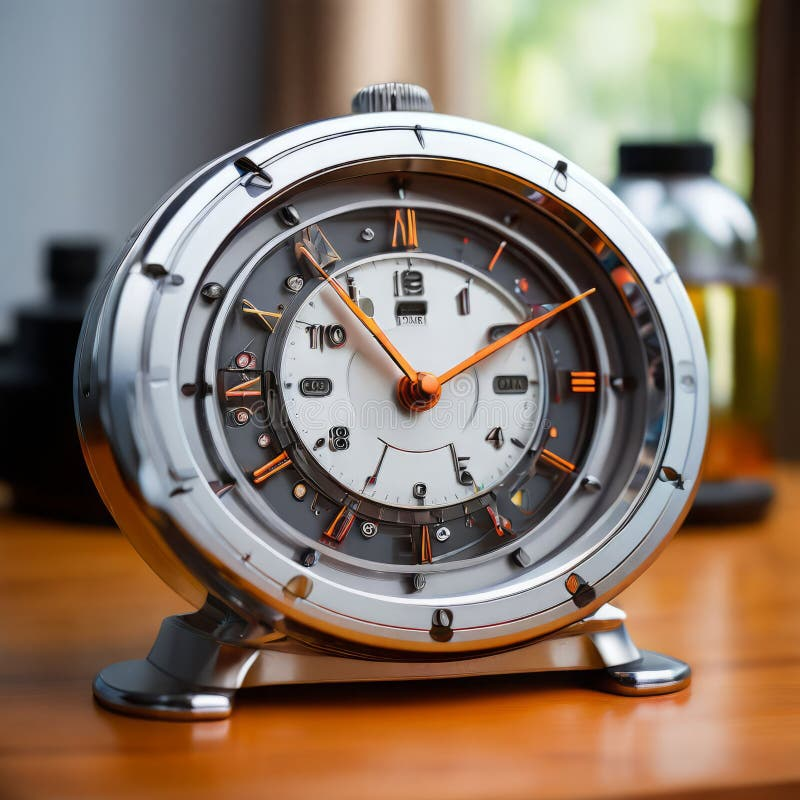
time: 1:54
